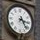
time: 3:23
